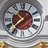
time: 10:37
